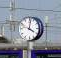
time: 4:02
